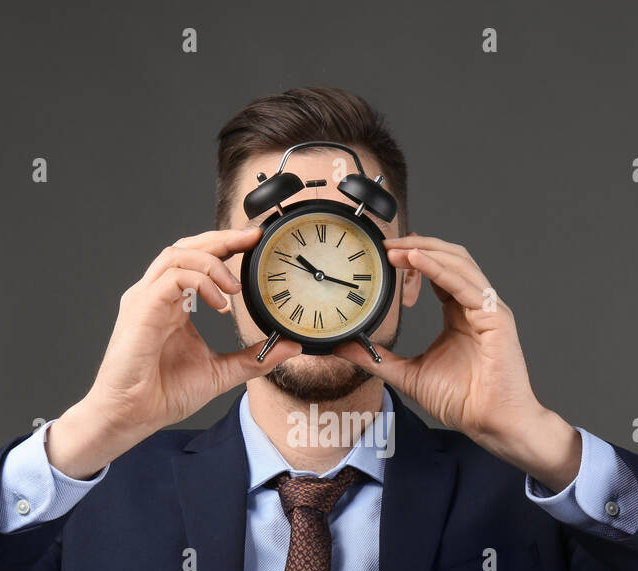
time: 10:17
